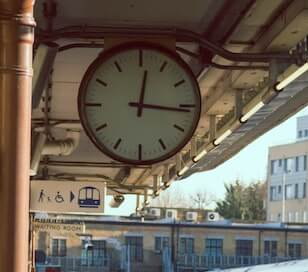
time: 12:16
